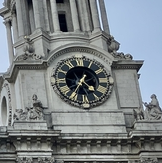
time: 4:35
